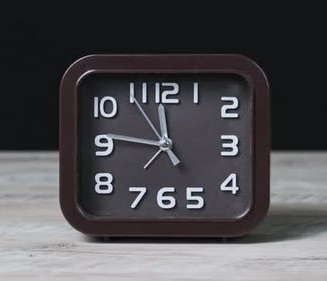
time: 11:46
